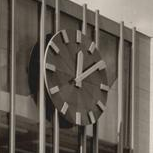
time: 12:08
